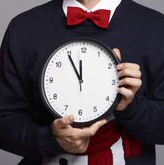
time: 11:54
